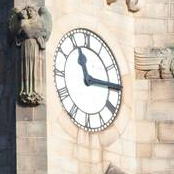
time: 11:14
